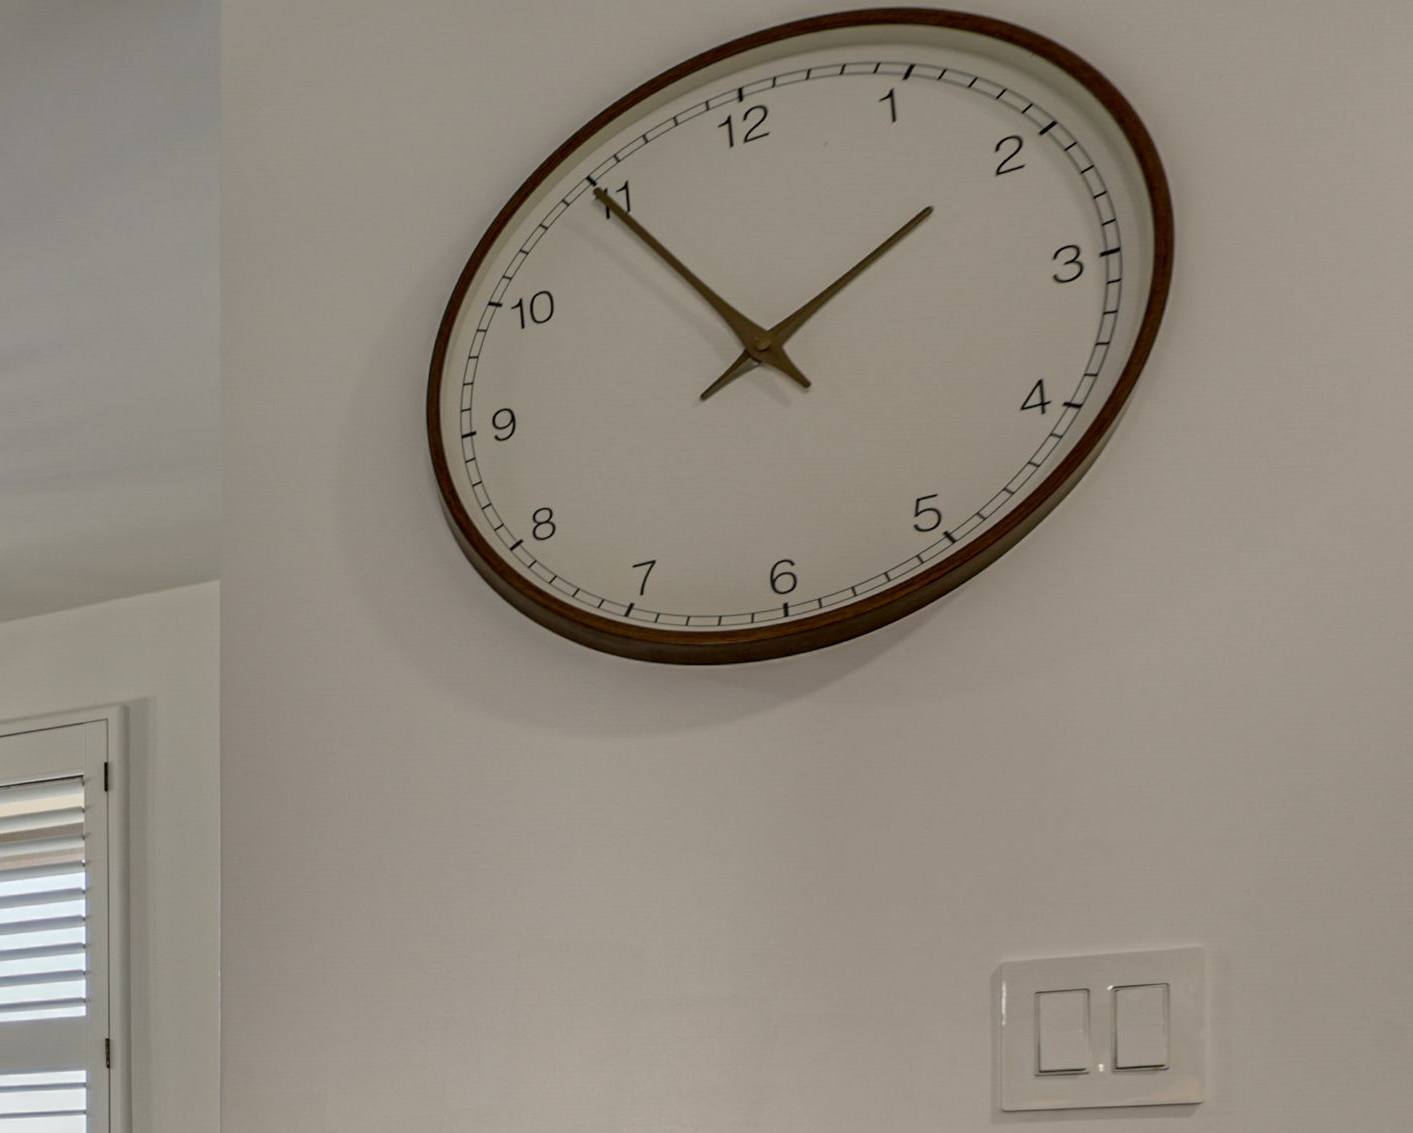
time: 1:54
